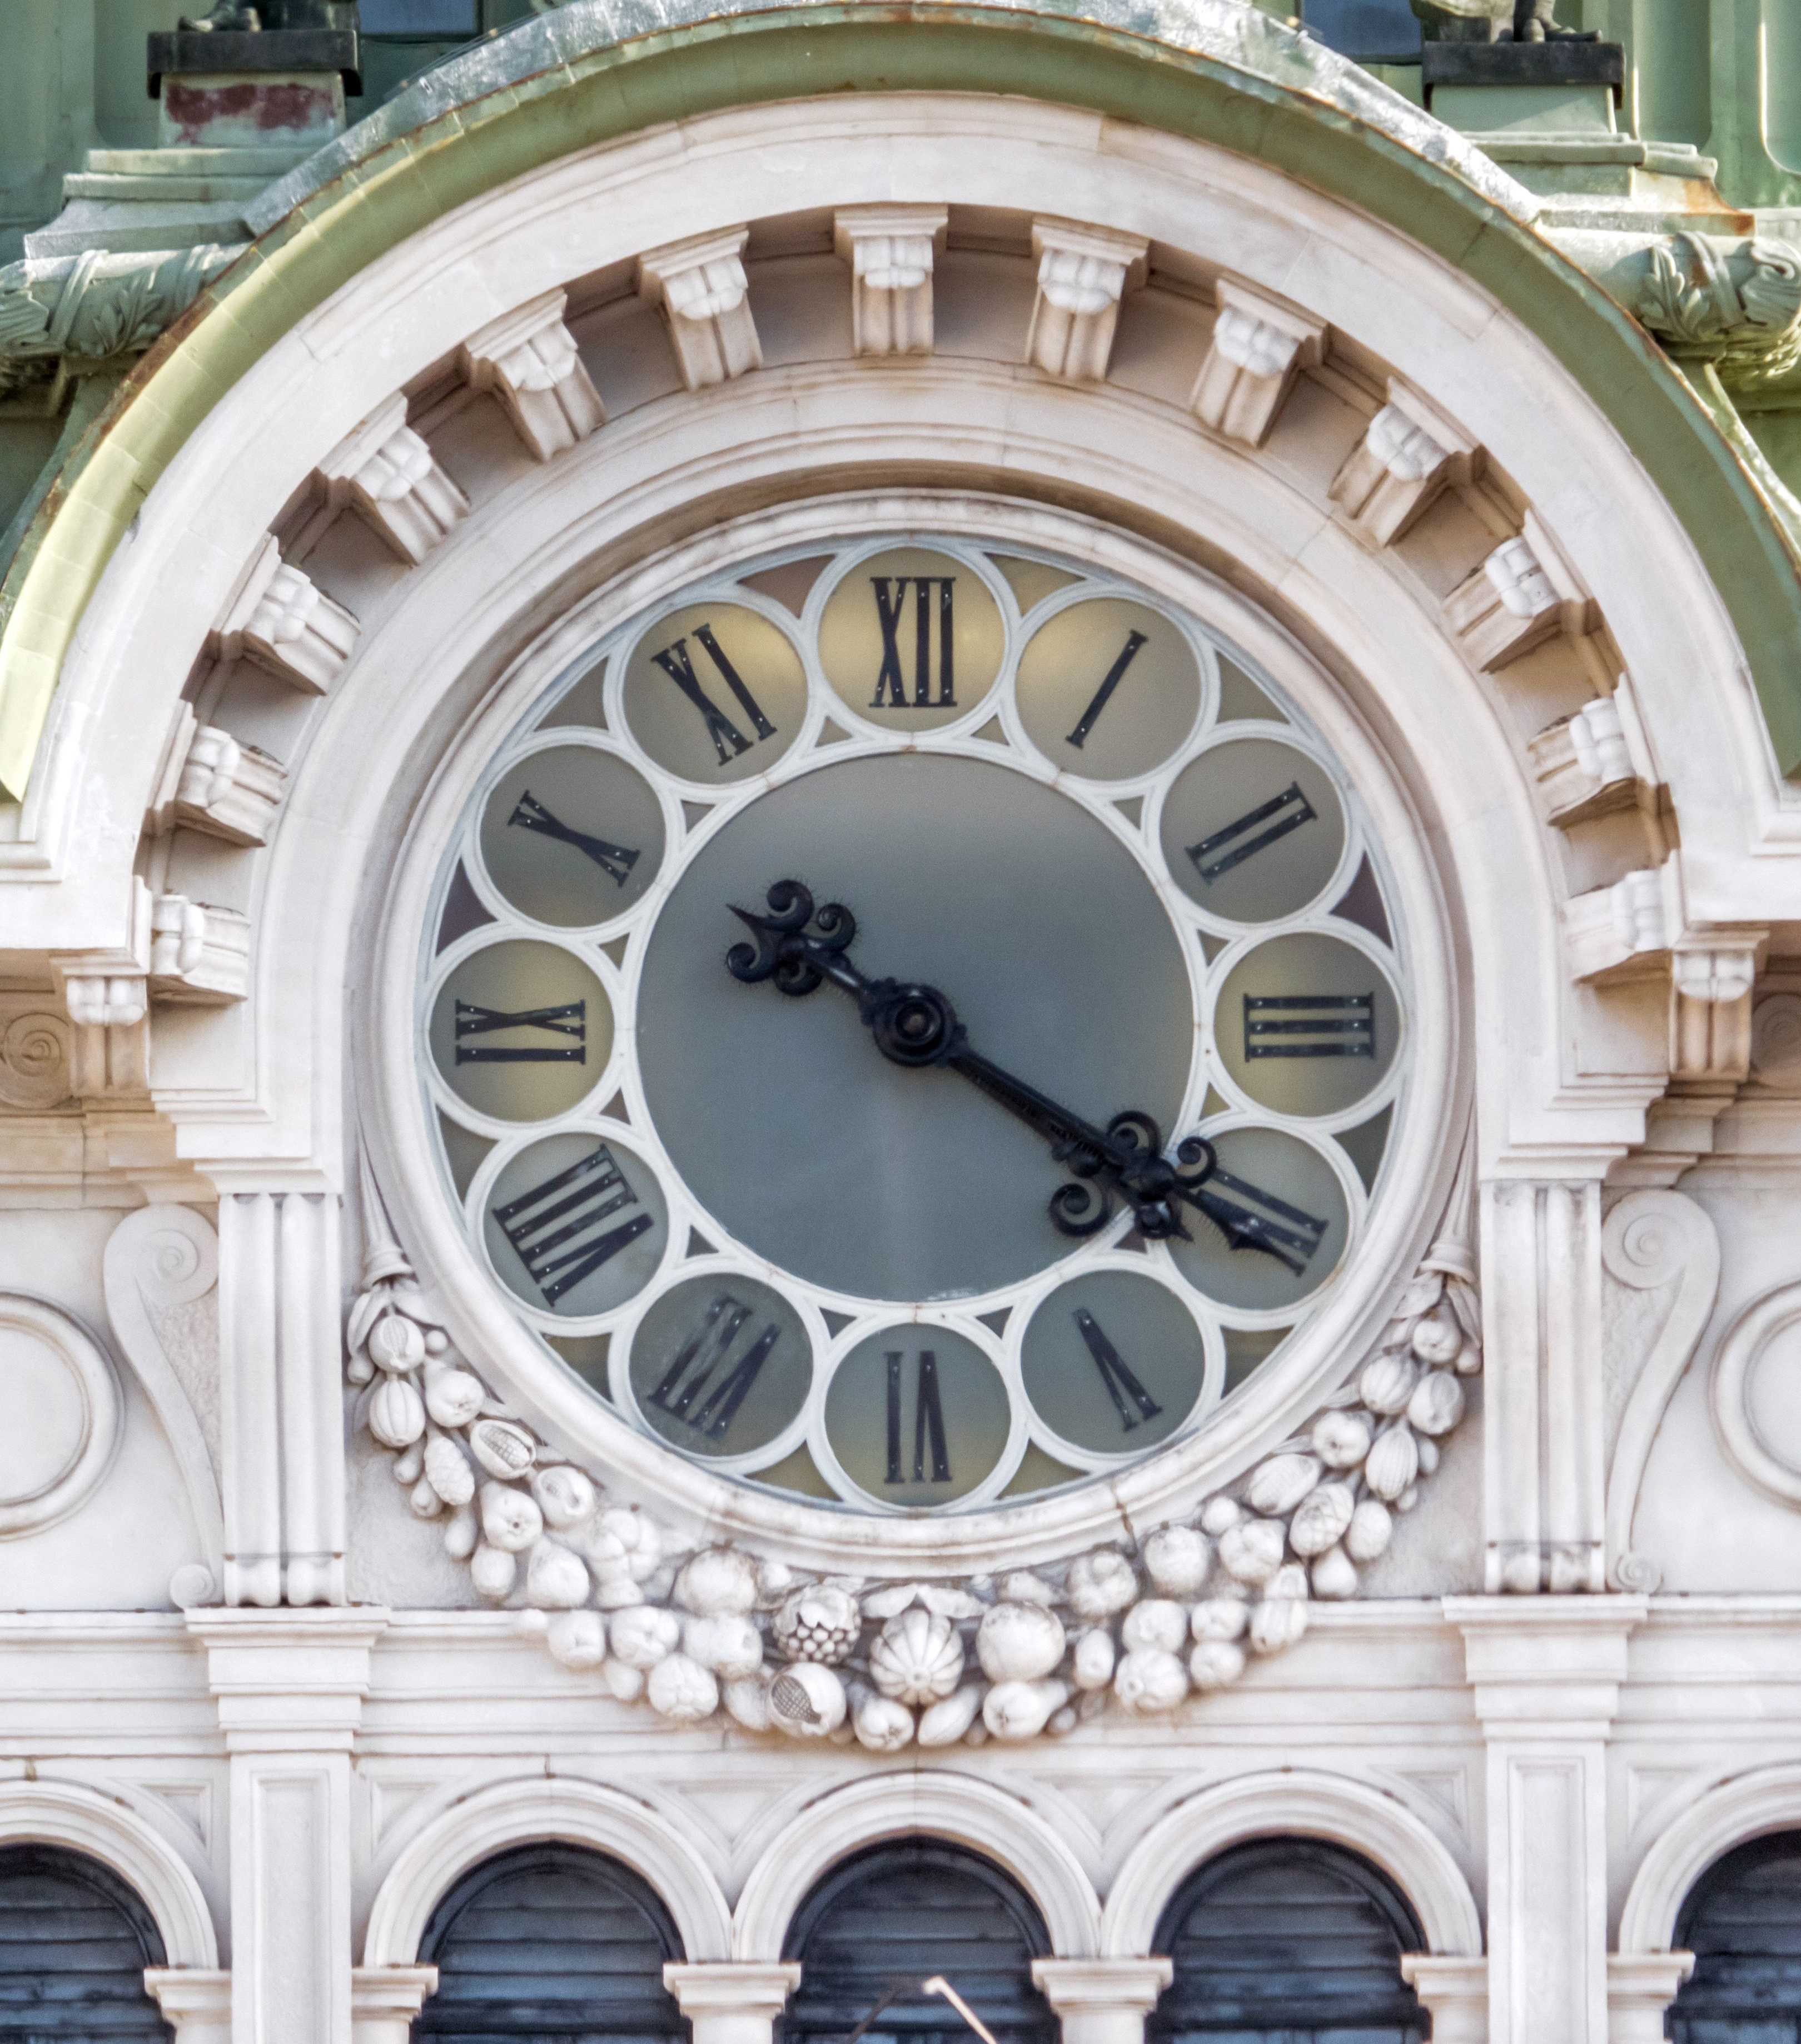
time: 10:20
